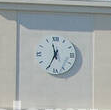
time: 11:34
